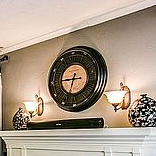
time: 6:46
